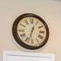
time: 12:32
